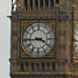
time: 3:44
